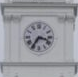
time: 3:35
